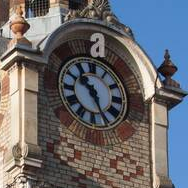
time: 10:26
